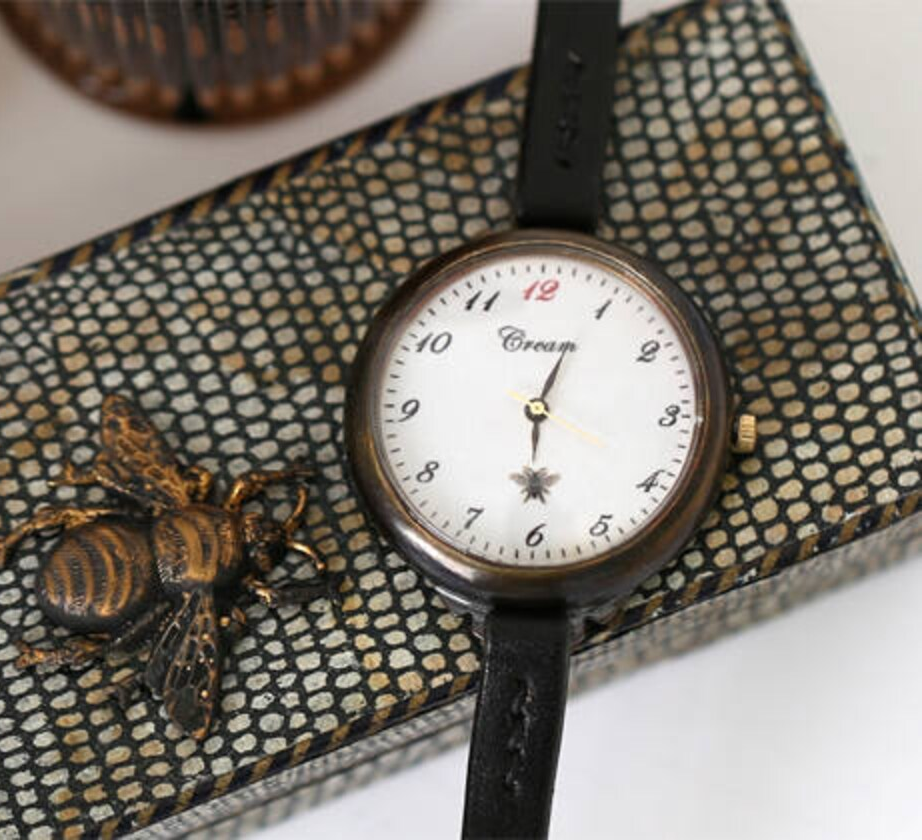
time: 6:03
